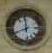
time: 11:41
